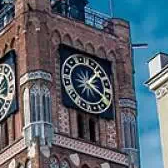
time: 1:20
